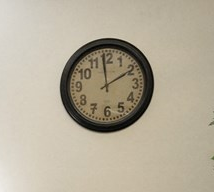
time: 1:59
